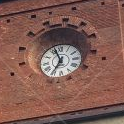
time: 6:56
